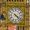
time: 4:22
